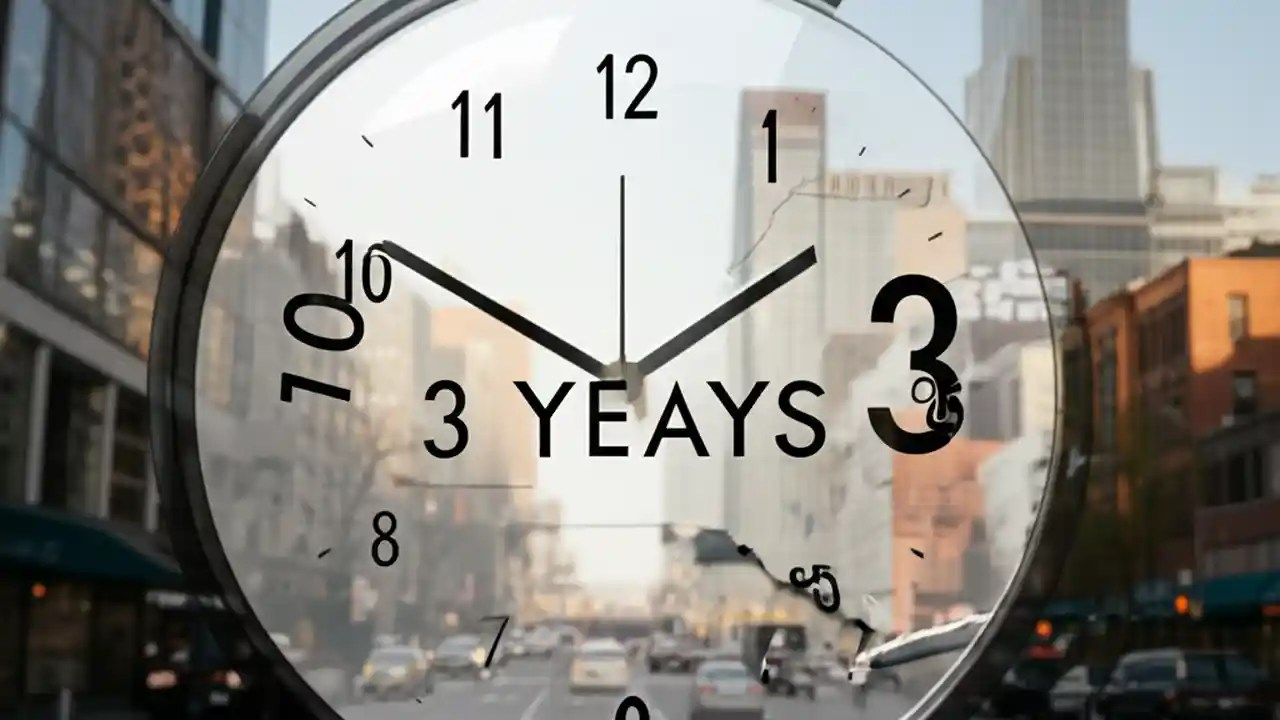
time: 1:50
